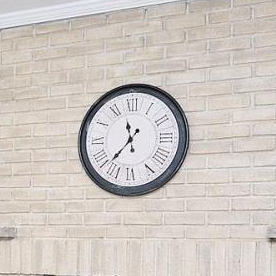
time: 11:37
